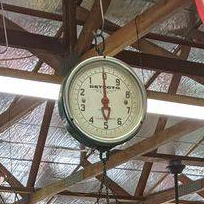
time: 6:00
